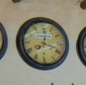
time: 12:18
